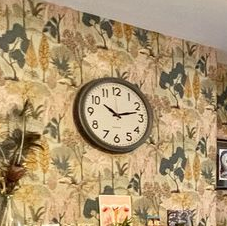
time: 10:12
